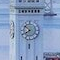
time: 7:52
